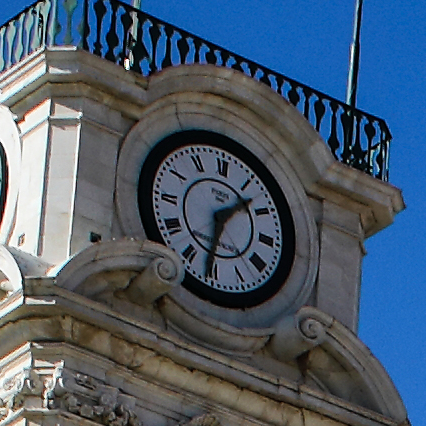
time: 1:31
